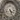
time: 4:26
